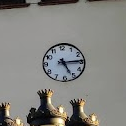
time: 5:14
